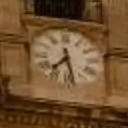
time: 7:28
